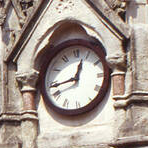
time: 12:43
